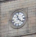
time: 11:21
